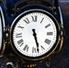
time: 5:27
